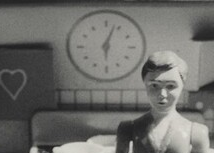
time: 6:03
